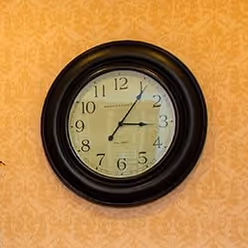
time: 3:05
